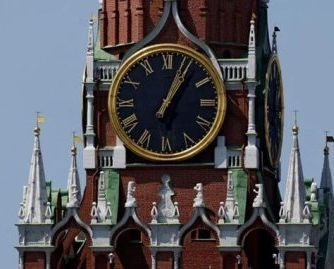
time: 1:03
